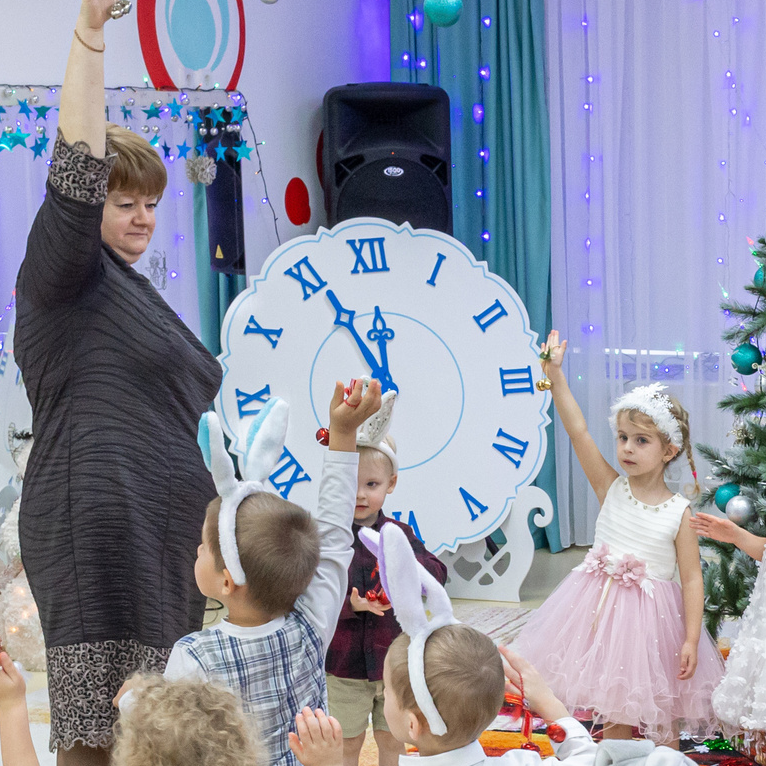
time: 11:55
